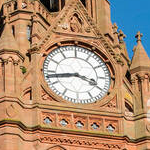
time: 3:43
